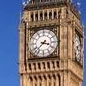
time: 3:37
